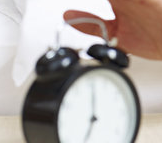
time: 7:00
